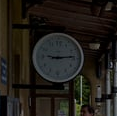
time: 9:13
